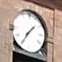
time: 1:35
